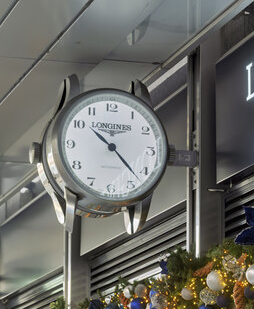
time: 10:22
